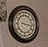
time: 3:17
